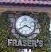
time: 3:40
